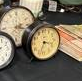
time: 3:33
